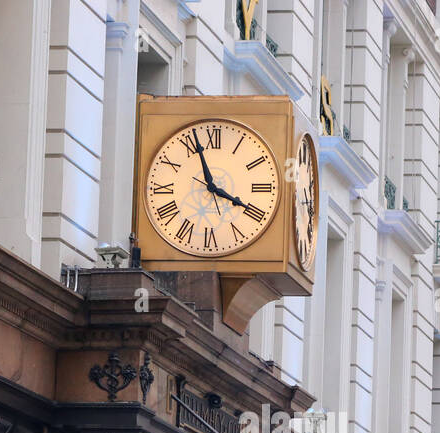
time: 3:56
